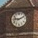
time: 9:11
